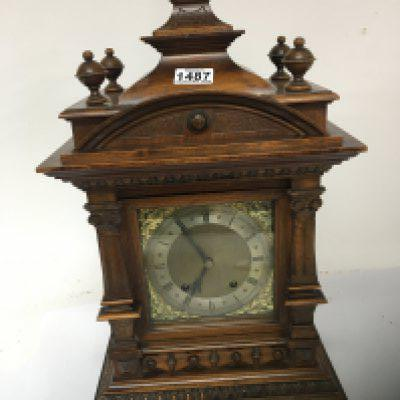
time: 6:54
